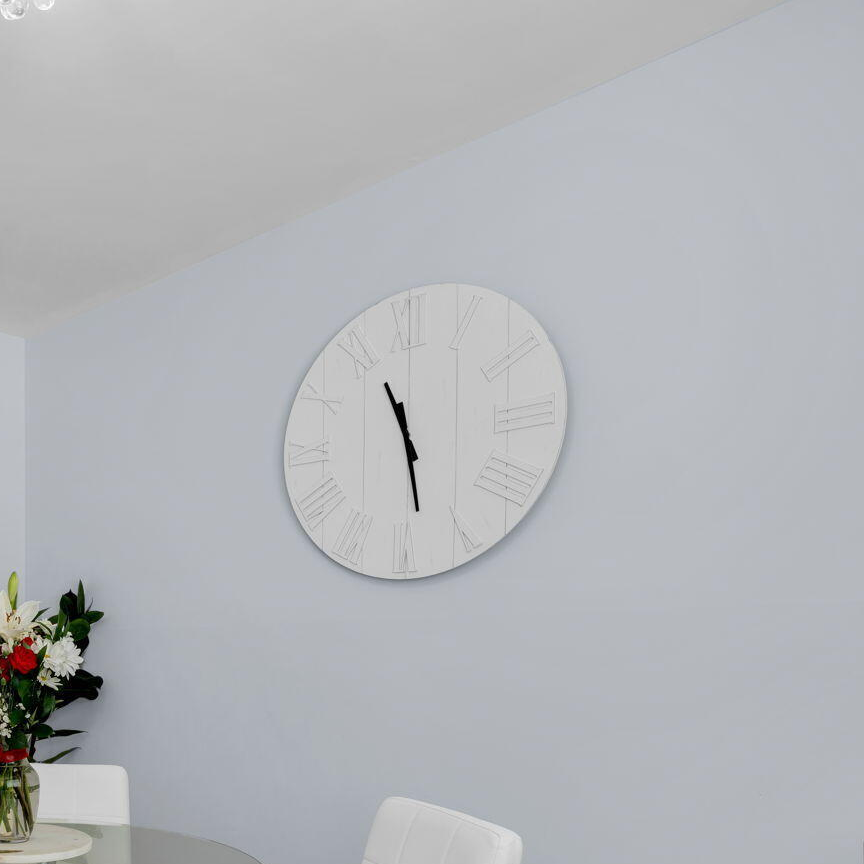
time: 11:28
